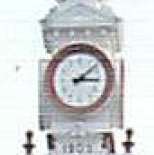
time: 3:08
